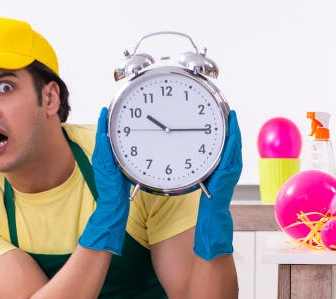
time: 10:15
